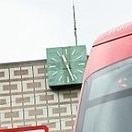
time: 11:26
